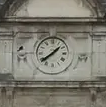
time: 1:38
